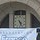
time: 4:26
